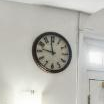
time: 11:46
